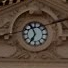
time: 6:55
